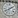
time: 8:09
